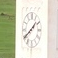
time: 1:39
